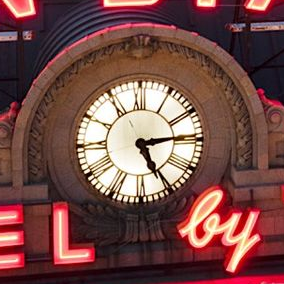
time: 5:14
